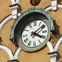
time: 4:09
